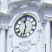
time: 11:32
